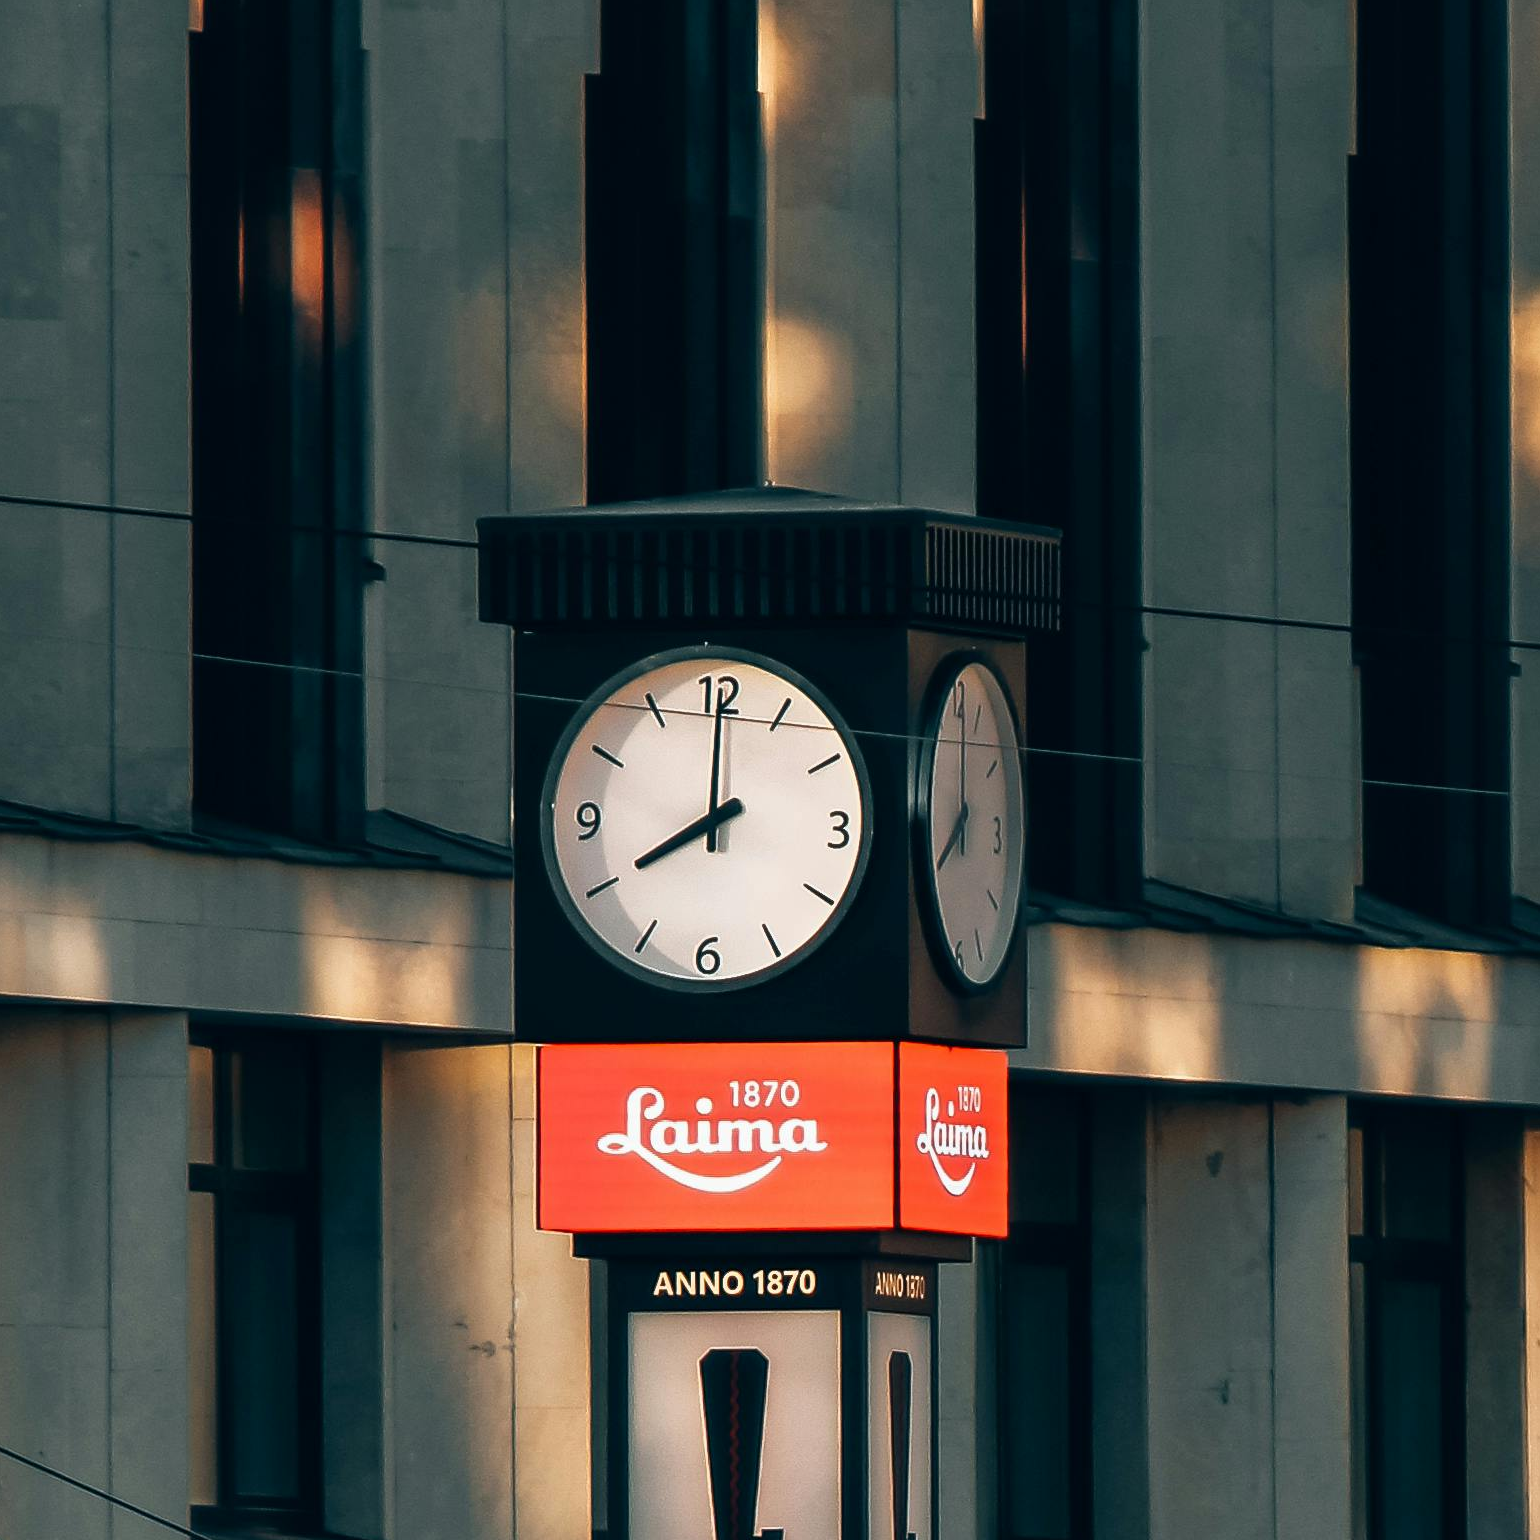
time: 8:00
